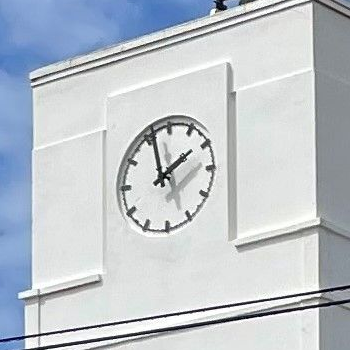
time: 1:56
